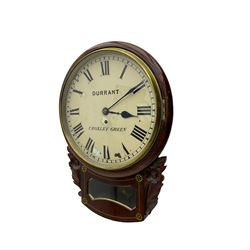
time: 3:09
